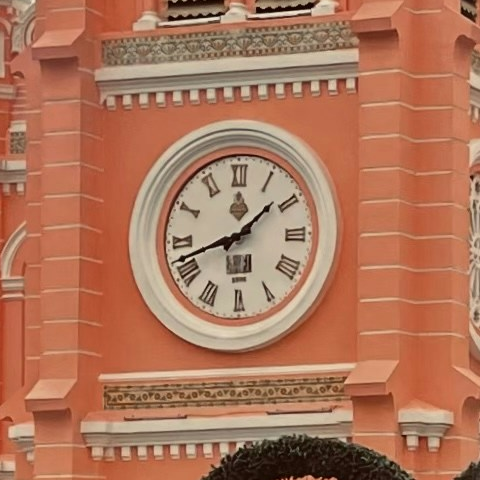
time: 1:42
